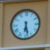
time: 6:27
